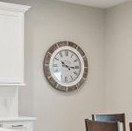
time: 10:15
